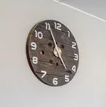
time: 4:56
